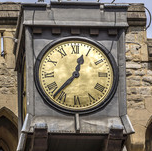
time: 12:37
